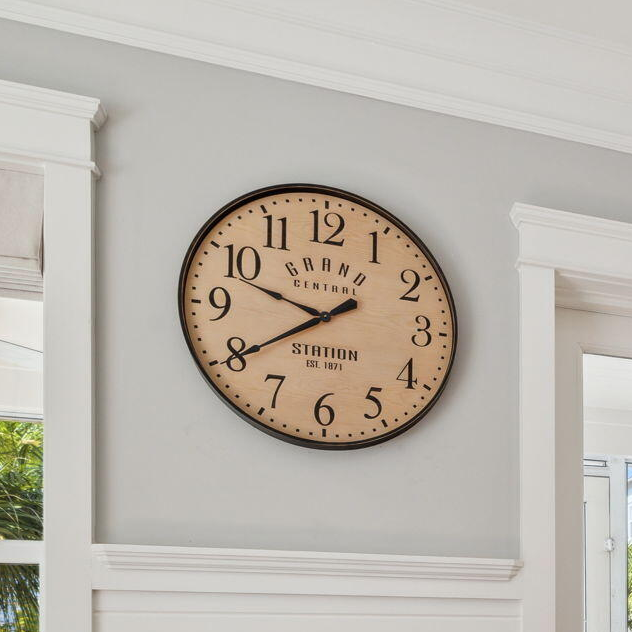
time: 9:39
